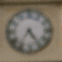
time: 7:24
